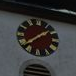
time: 1:38
